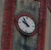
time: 9:54
